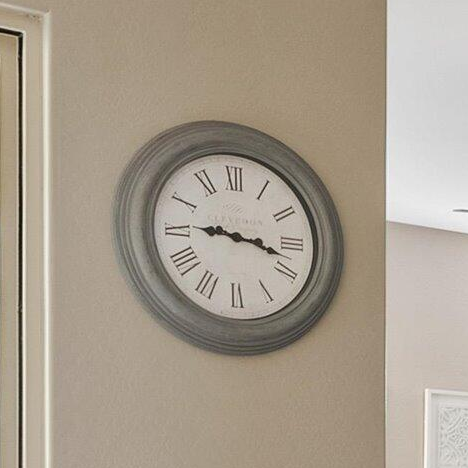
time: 9:17
